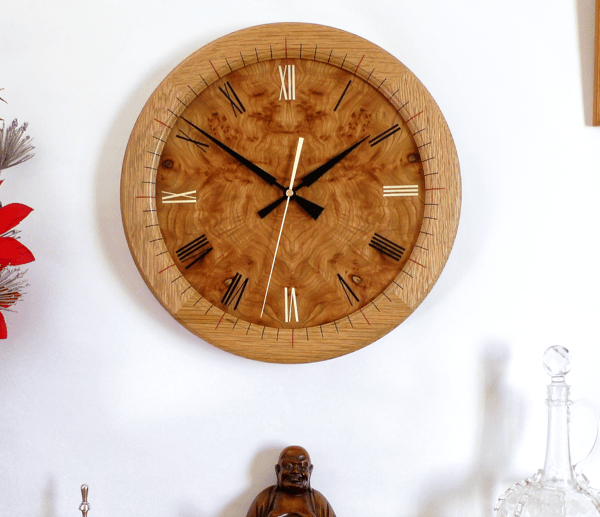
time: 1:50
